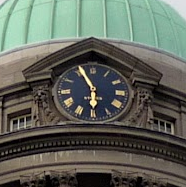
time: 5:55
